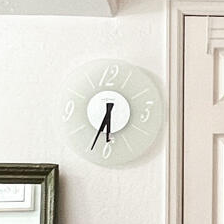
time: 6:34
